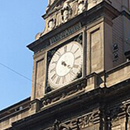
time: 4:21
